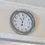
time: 11:02
